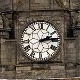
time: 2:13
